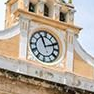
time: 11:11
